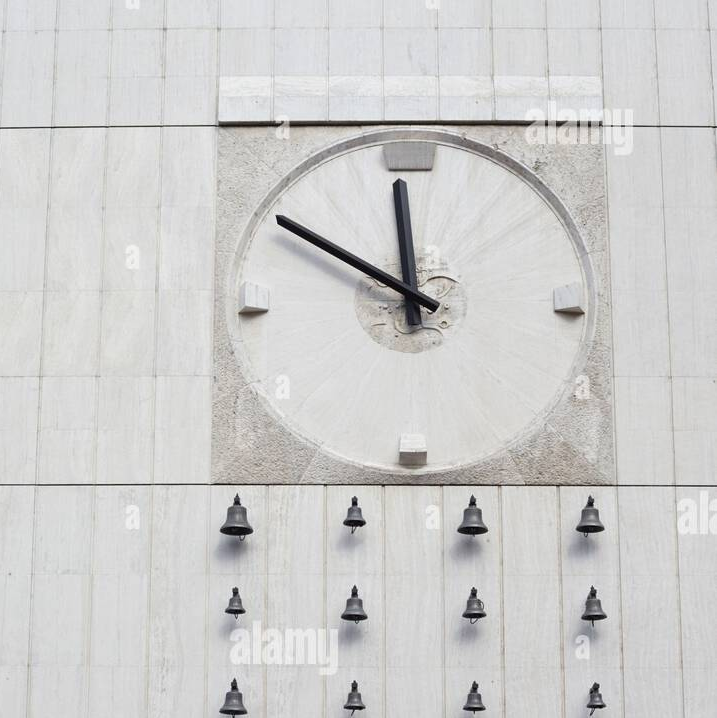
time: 11:50
